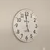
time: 4:59
